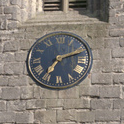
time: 7:11
